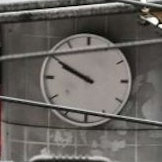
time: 9:50
